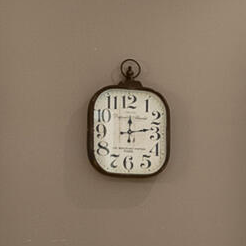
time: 12:13
